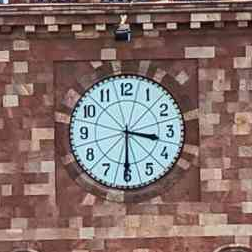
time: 3:30
